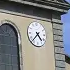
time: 4:37
